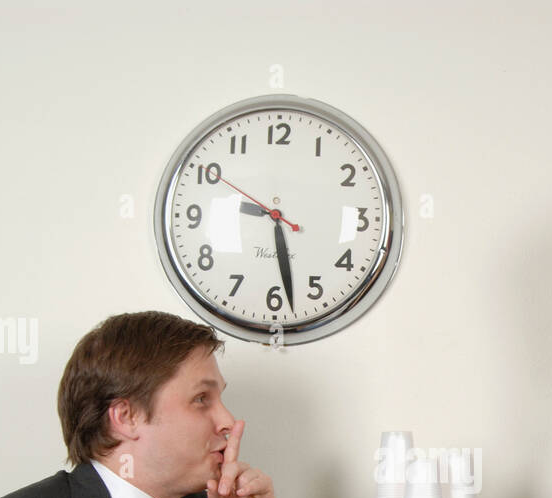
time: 5:28
